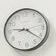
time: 9:21
